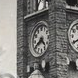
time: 4:40
